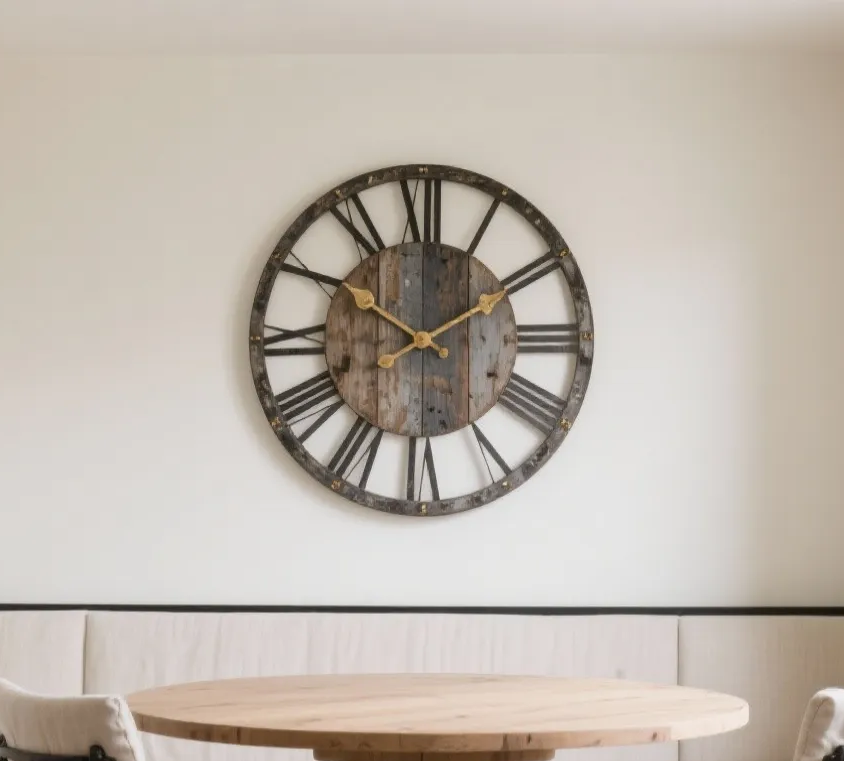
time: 1:50
